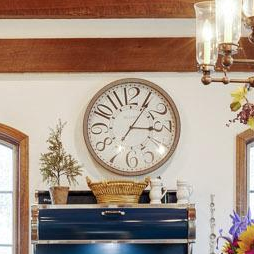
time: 3:05
